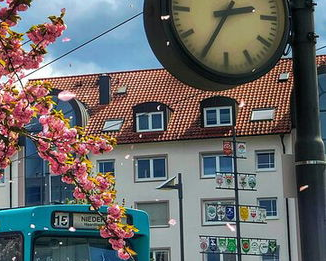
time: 2:34
